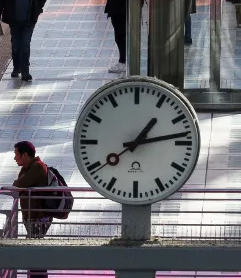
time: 1:13
